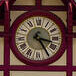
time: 3:24
